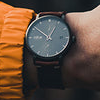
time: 12:51
